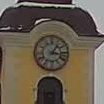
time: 1:16
